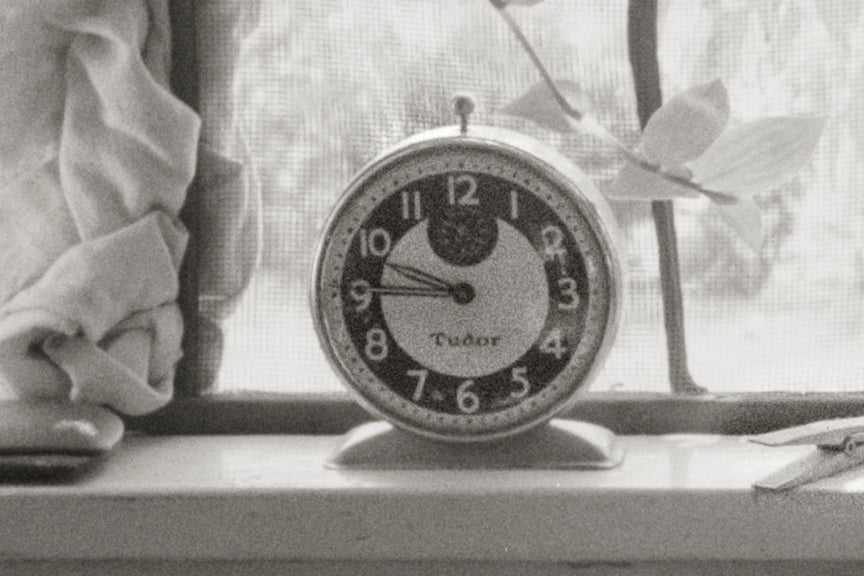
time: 9:45
